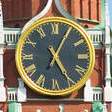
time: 5:04
